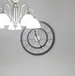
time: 11:25
